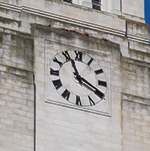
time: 11:19
